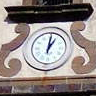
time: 1:01
